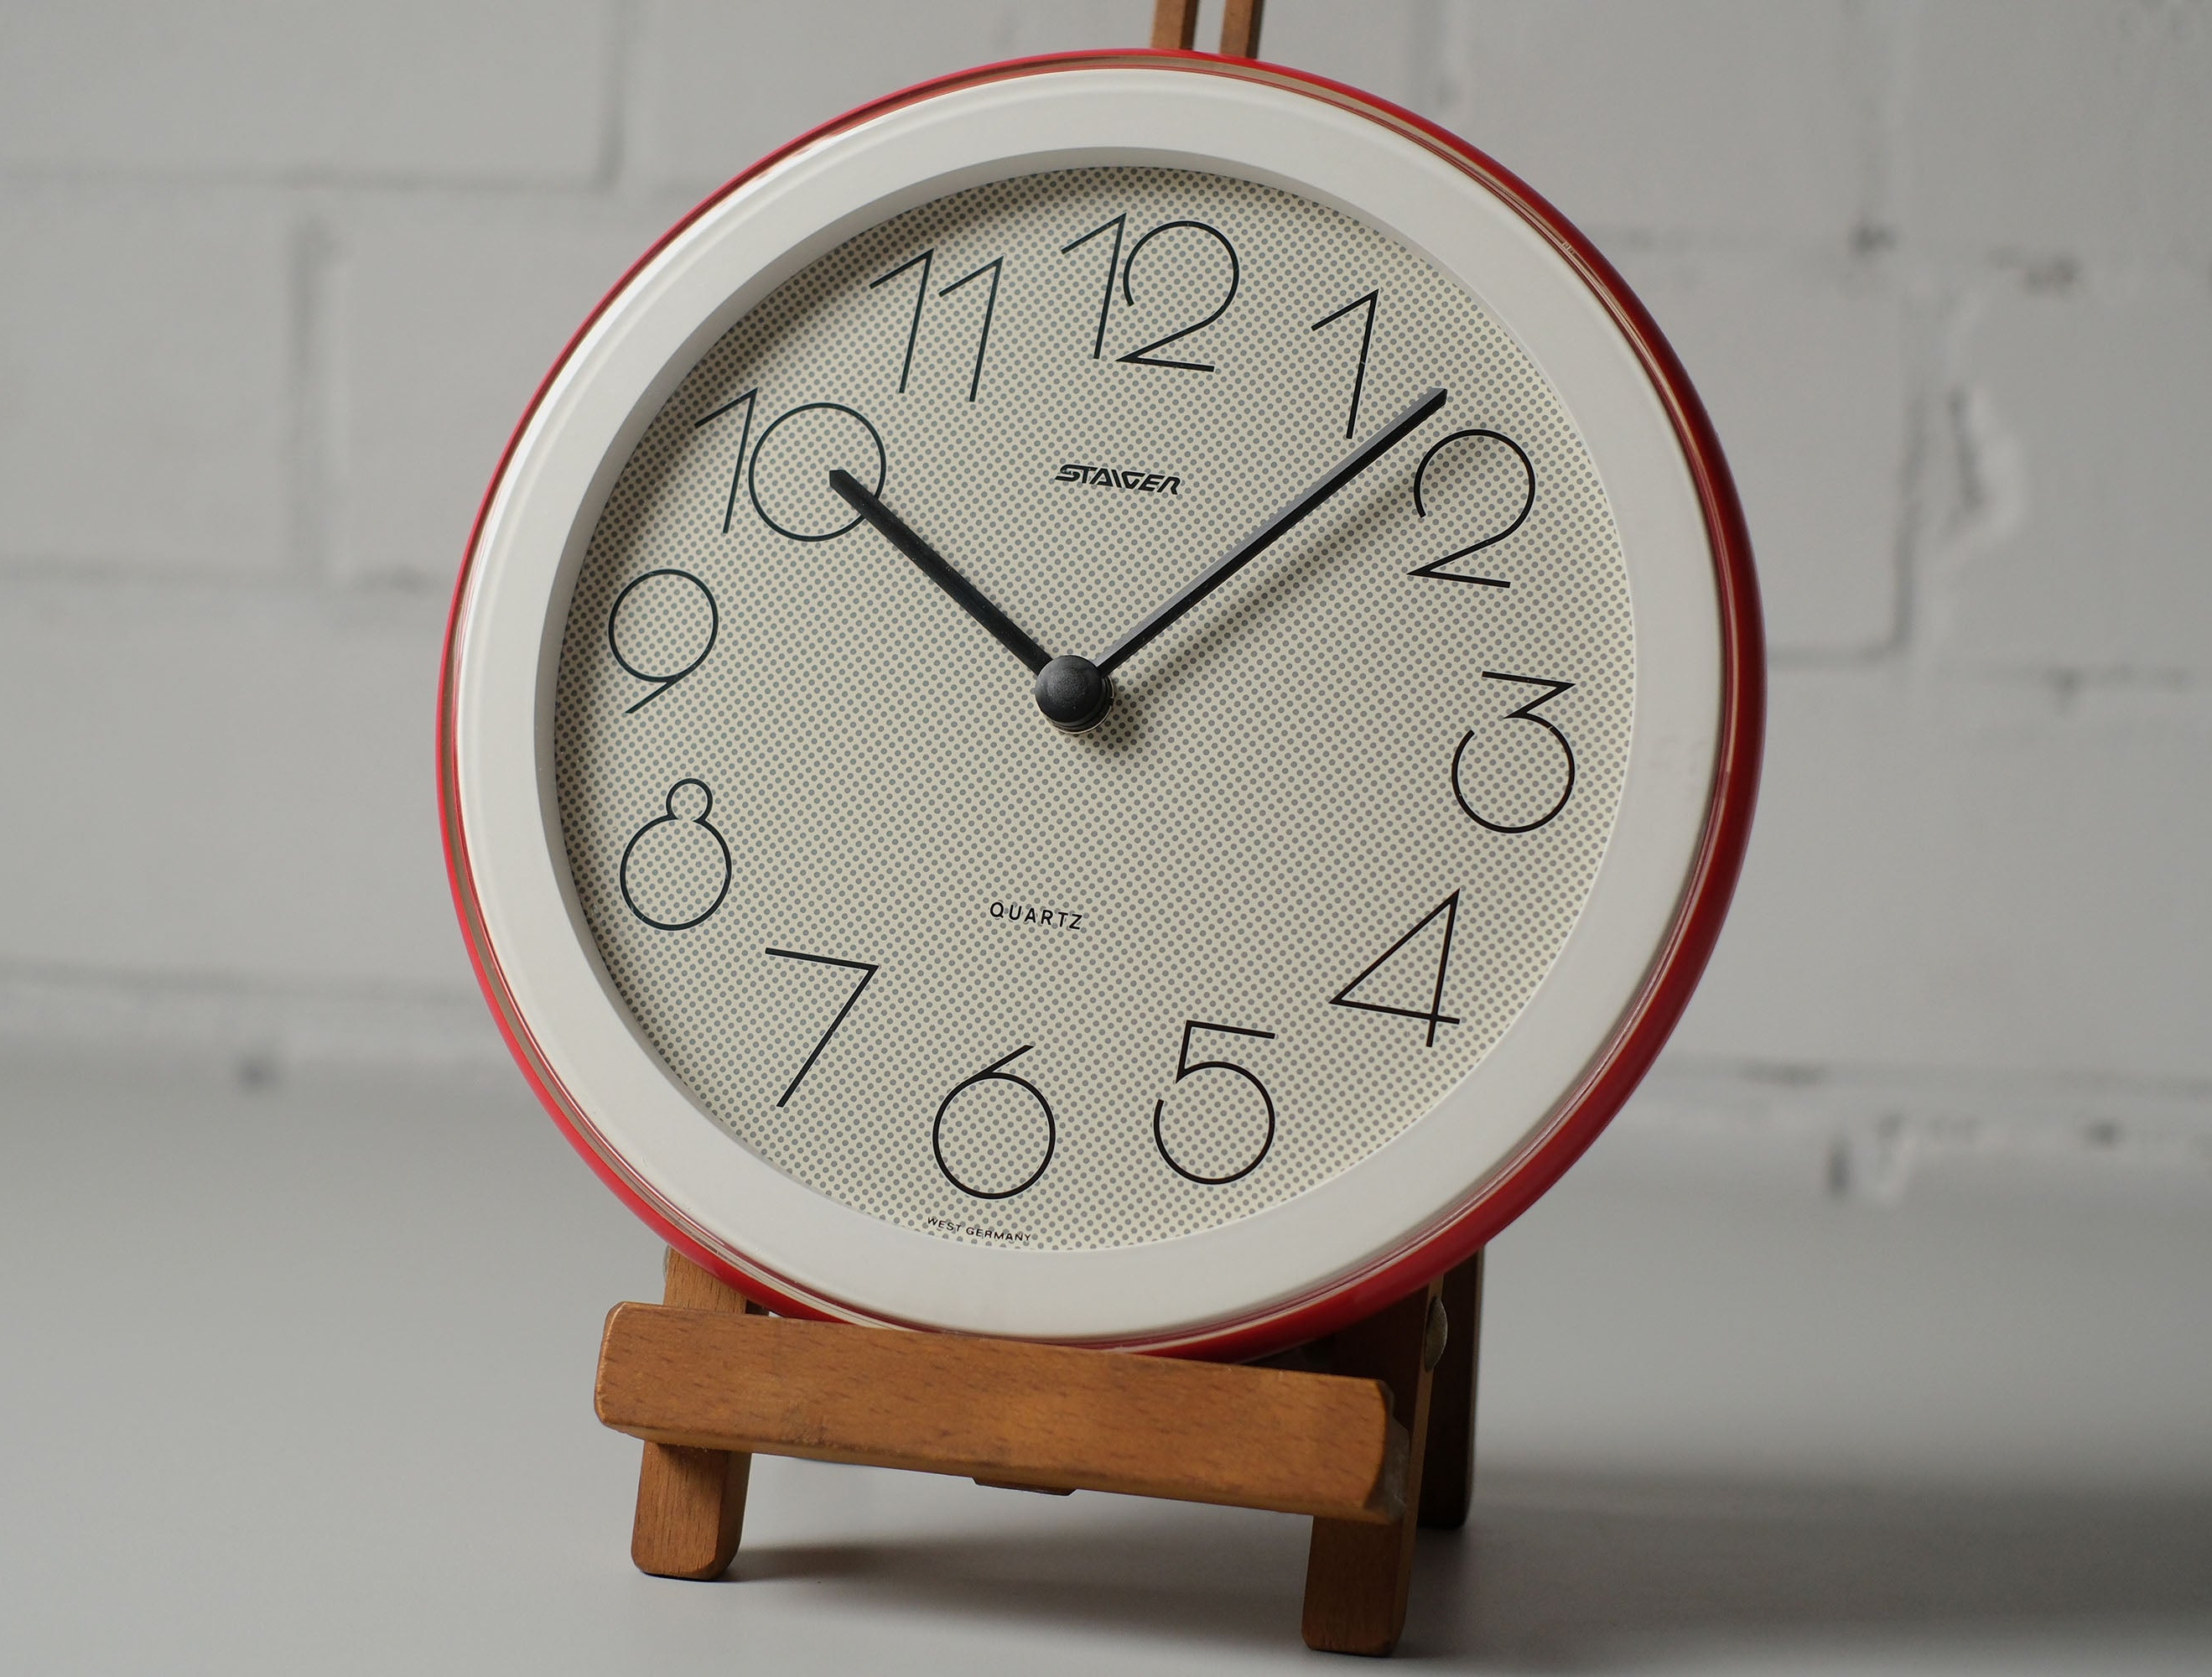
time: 10:07
